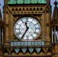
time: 11:35
